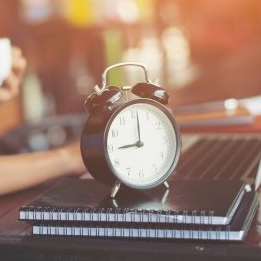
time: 9:01
